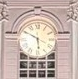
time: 5:49
